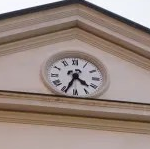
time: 4:34
